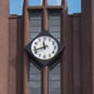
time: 11:42
